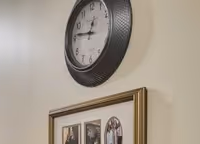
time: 12:46
